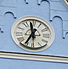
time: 11:35
